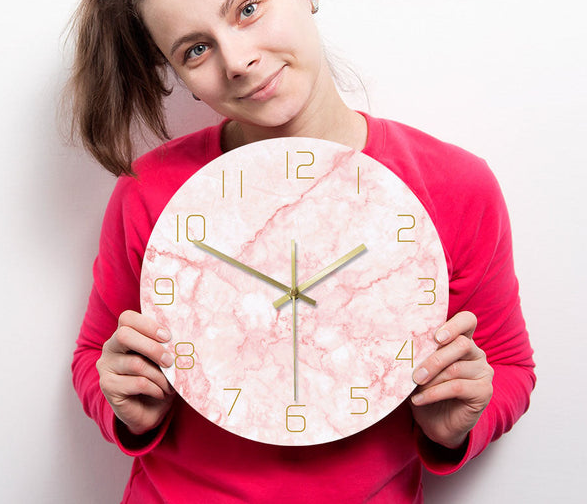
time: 1:49
